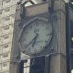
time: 6:38
